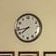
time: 7:43
